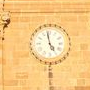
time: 4:58
